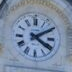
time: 4:09
